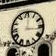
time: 12:16
